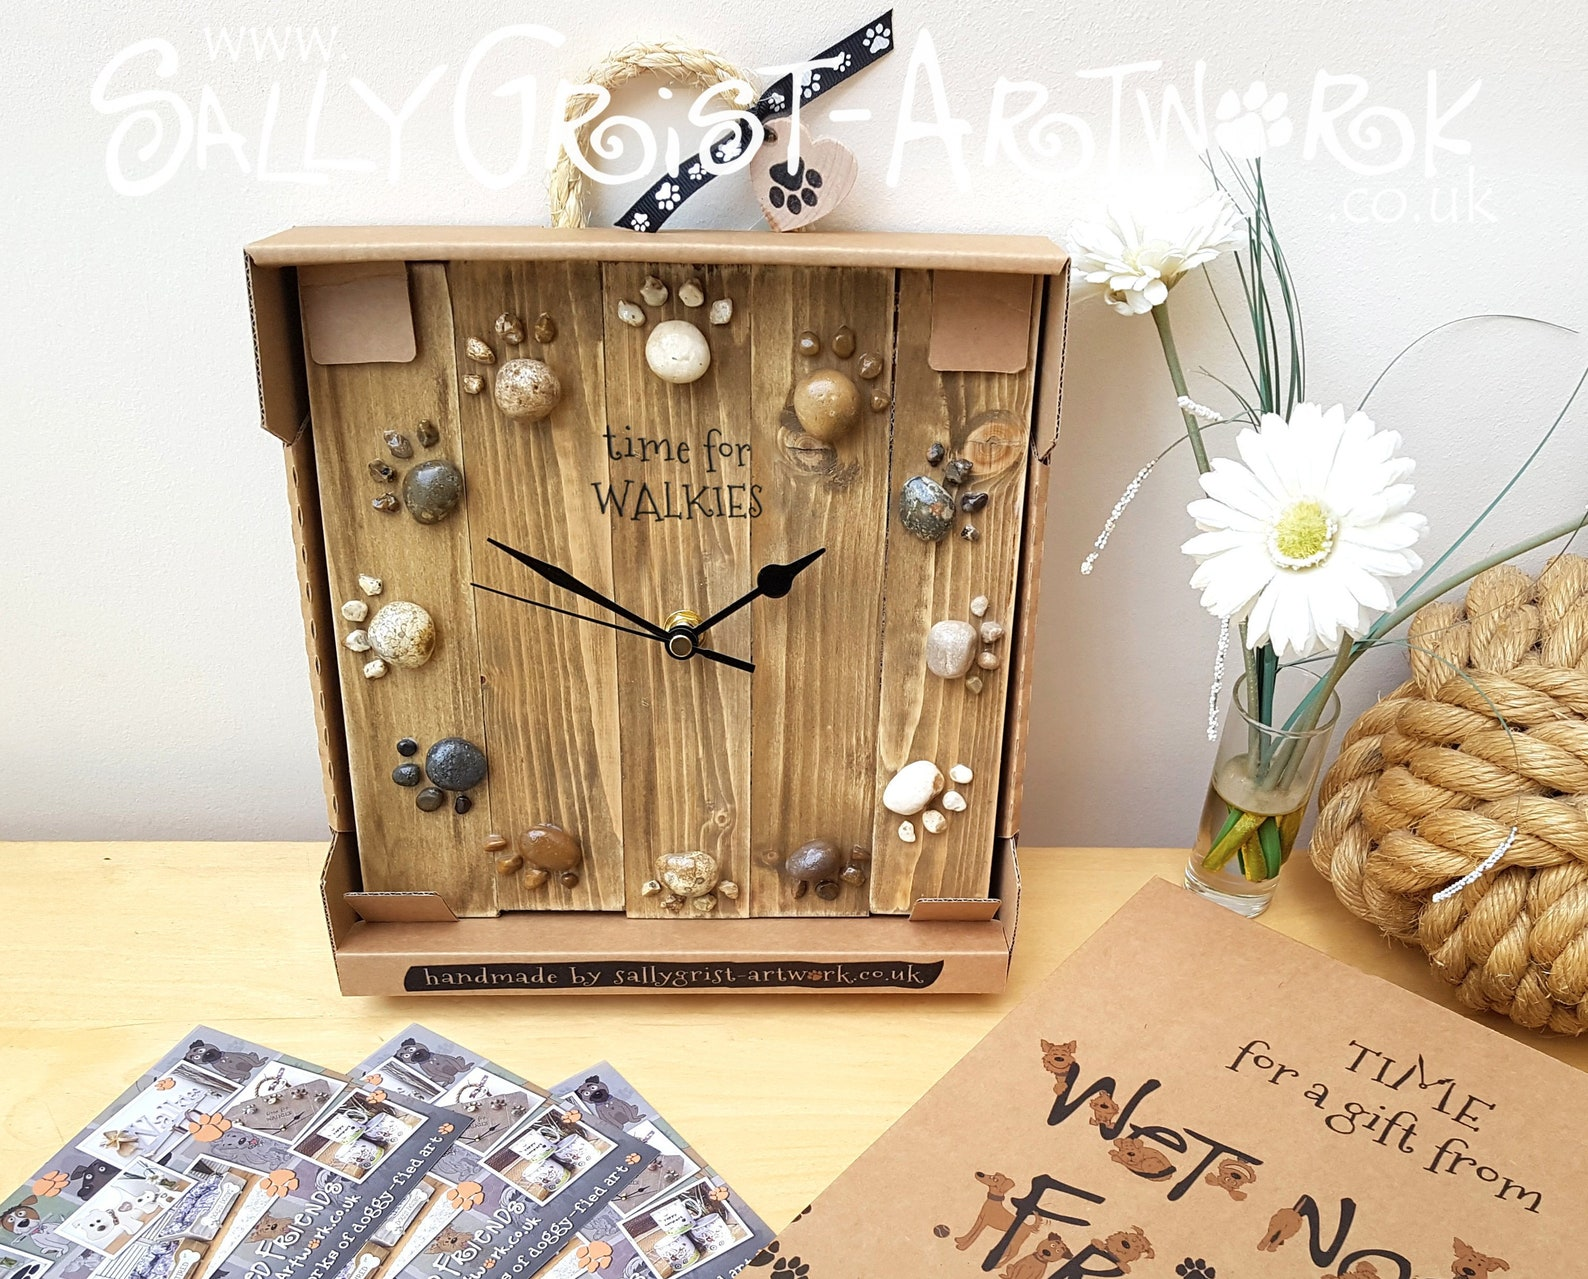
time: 1:49
